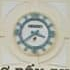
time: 3:39
